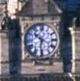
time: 10:32
